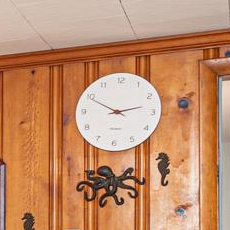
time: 2:49
